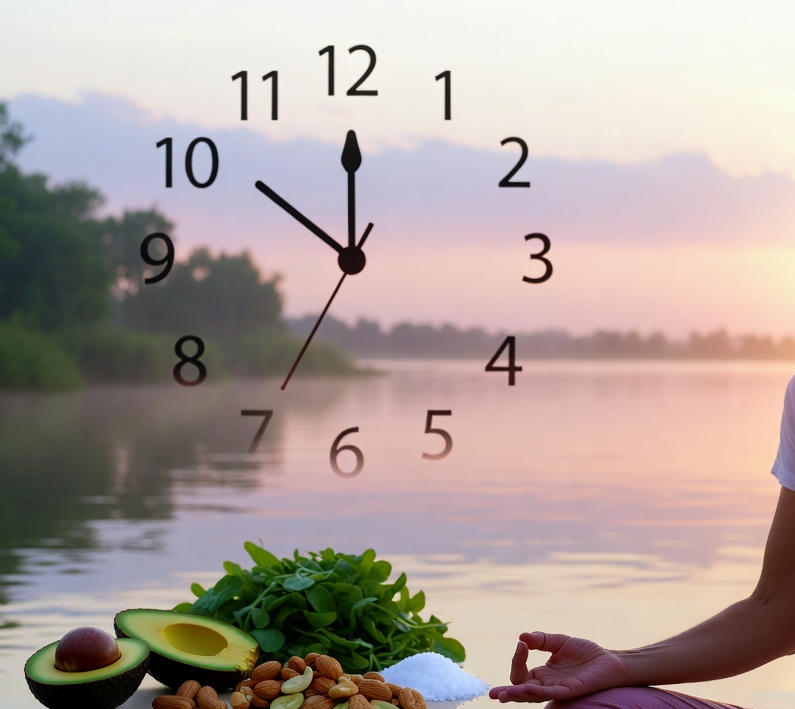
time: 11:51
